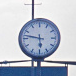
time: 5:47
